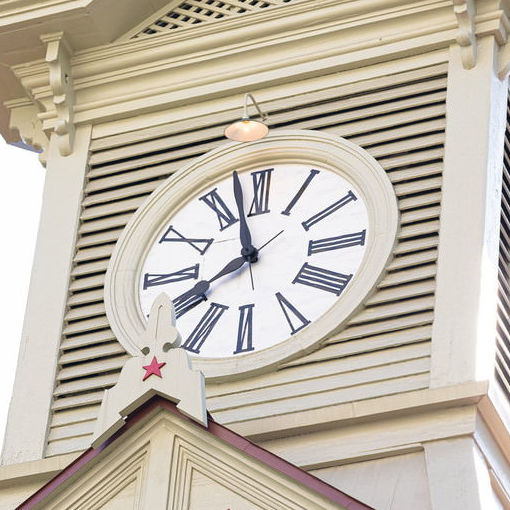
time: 7:57
